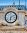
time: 6:10
